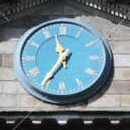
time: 11:35
